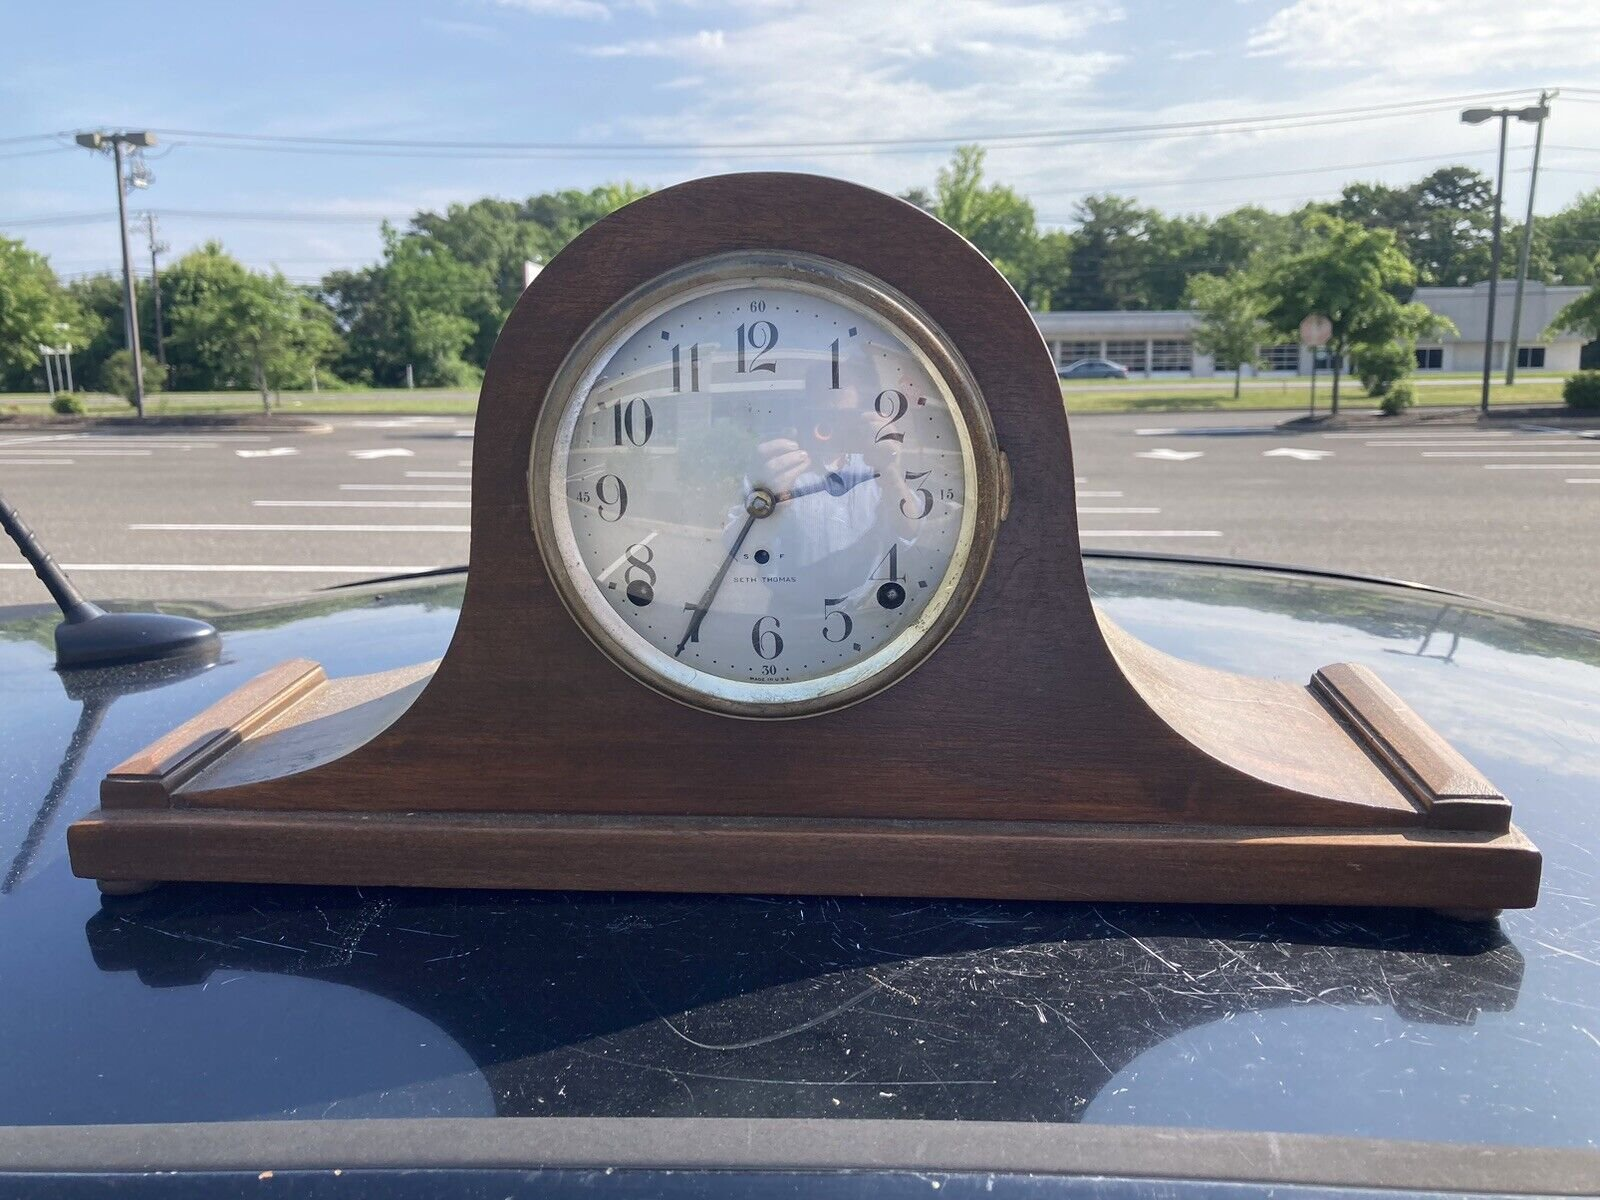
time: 2:34
